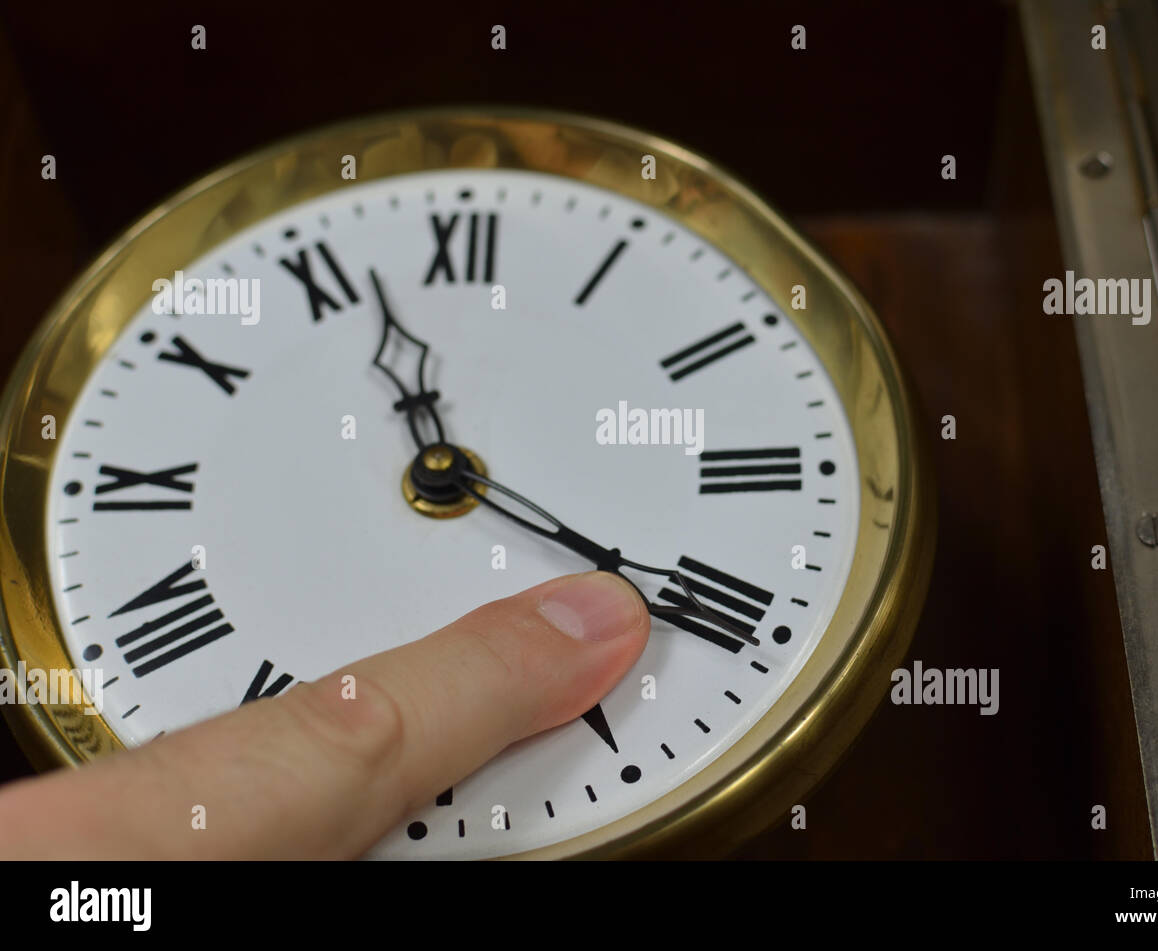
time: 11:20
